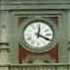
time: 12:19
